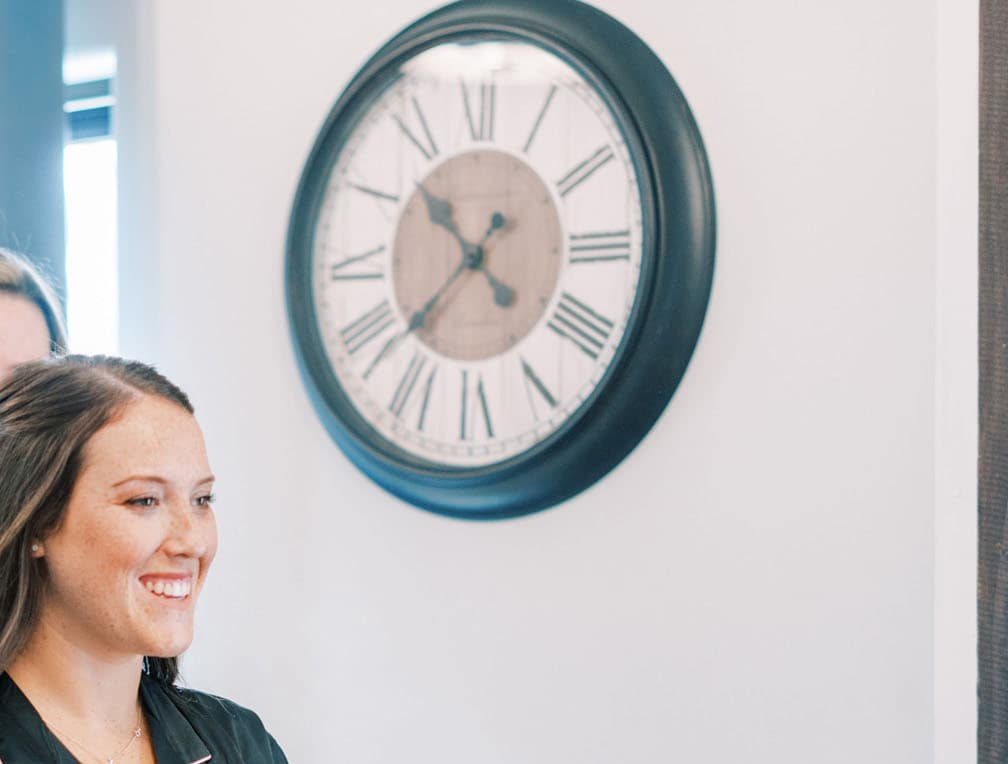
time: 10:37
